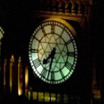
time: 7:32
